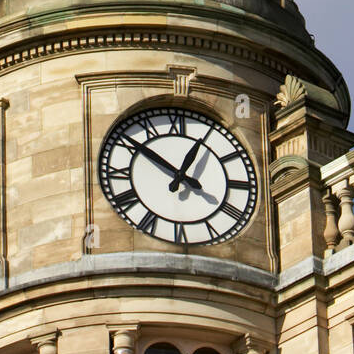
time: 12:51
